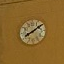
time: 8:09
